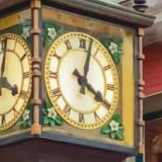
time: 4:02
